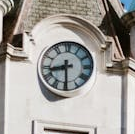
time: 8:29
